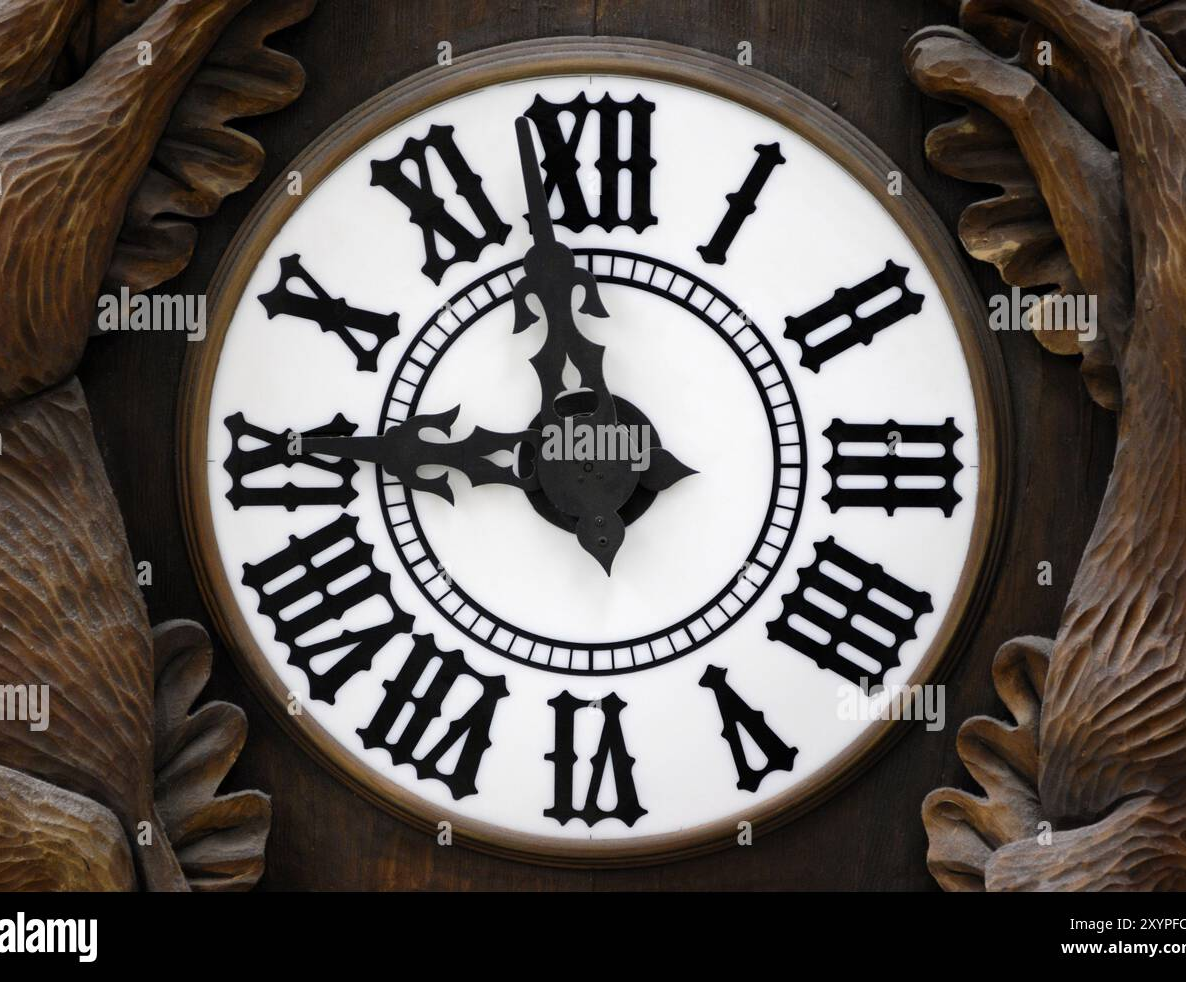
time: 11:45
